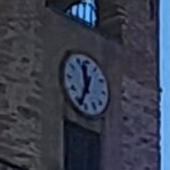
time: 11:34
